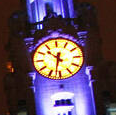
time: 10:32
